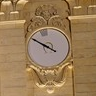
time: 9:49
